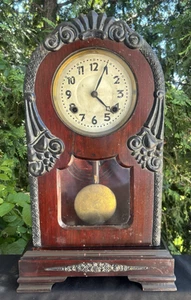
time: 4:04
